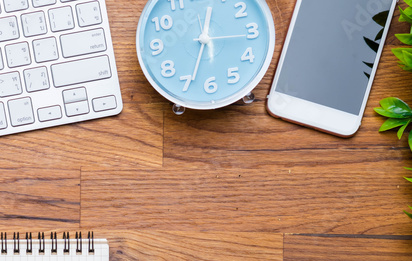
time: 12:34
